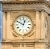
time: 12:49
